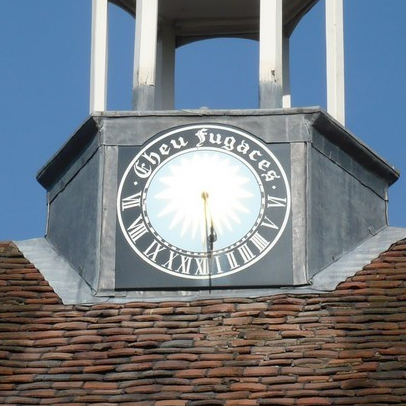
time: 5:29
